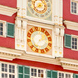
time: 1:37
